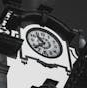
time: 10:37
